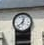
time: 12:38
